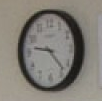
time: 9:22
